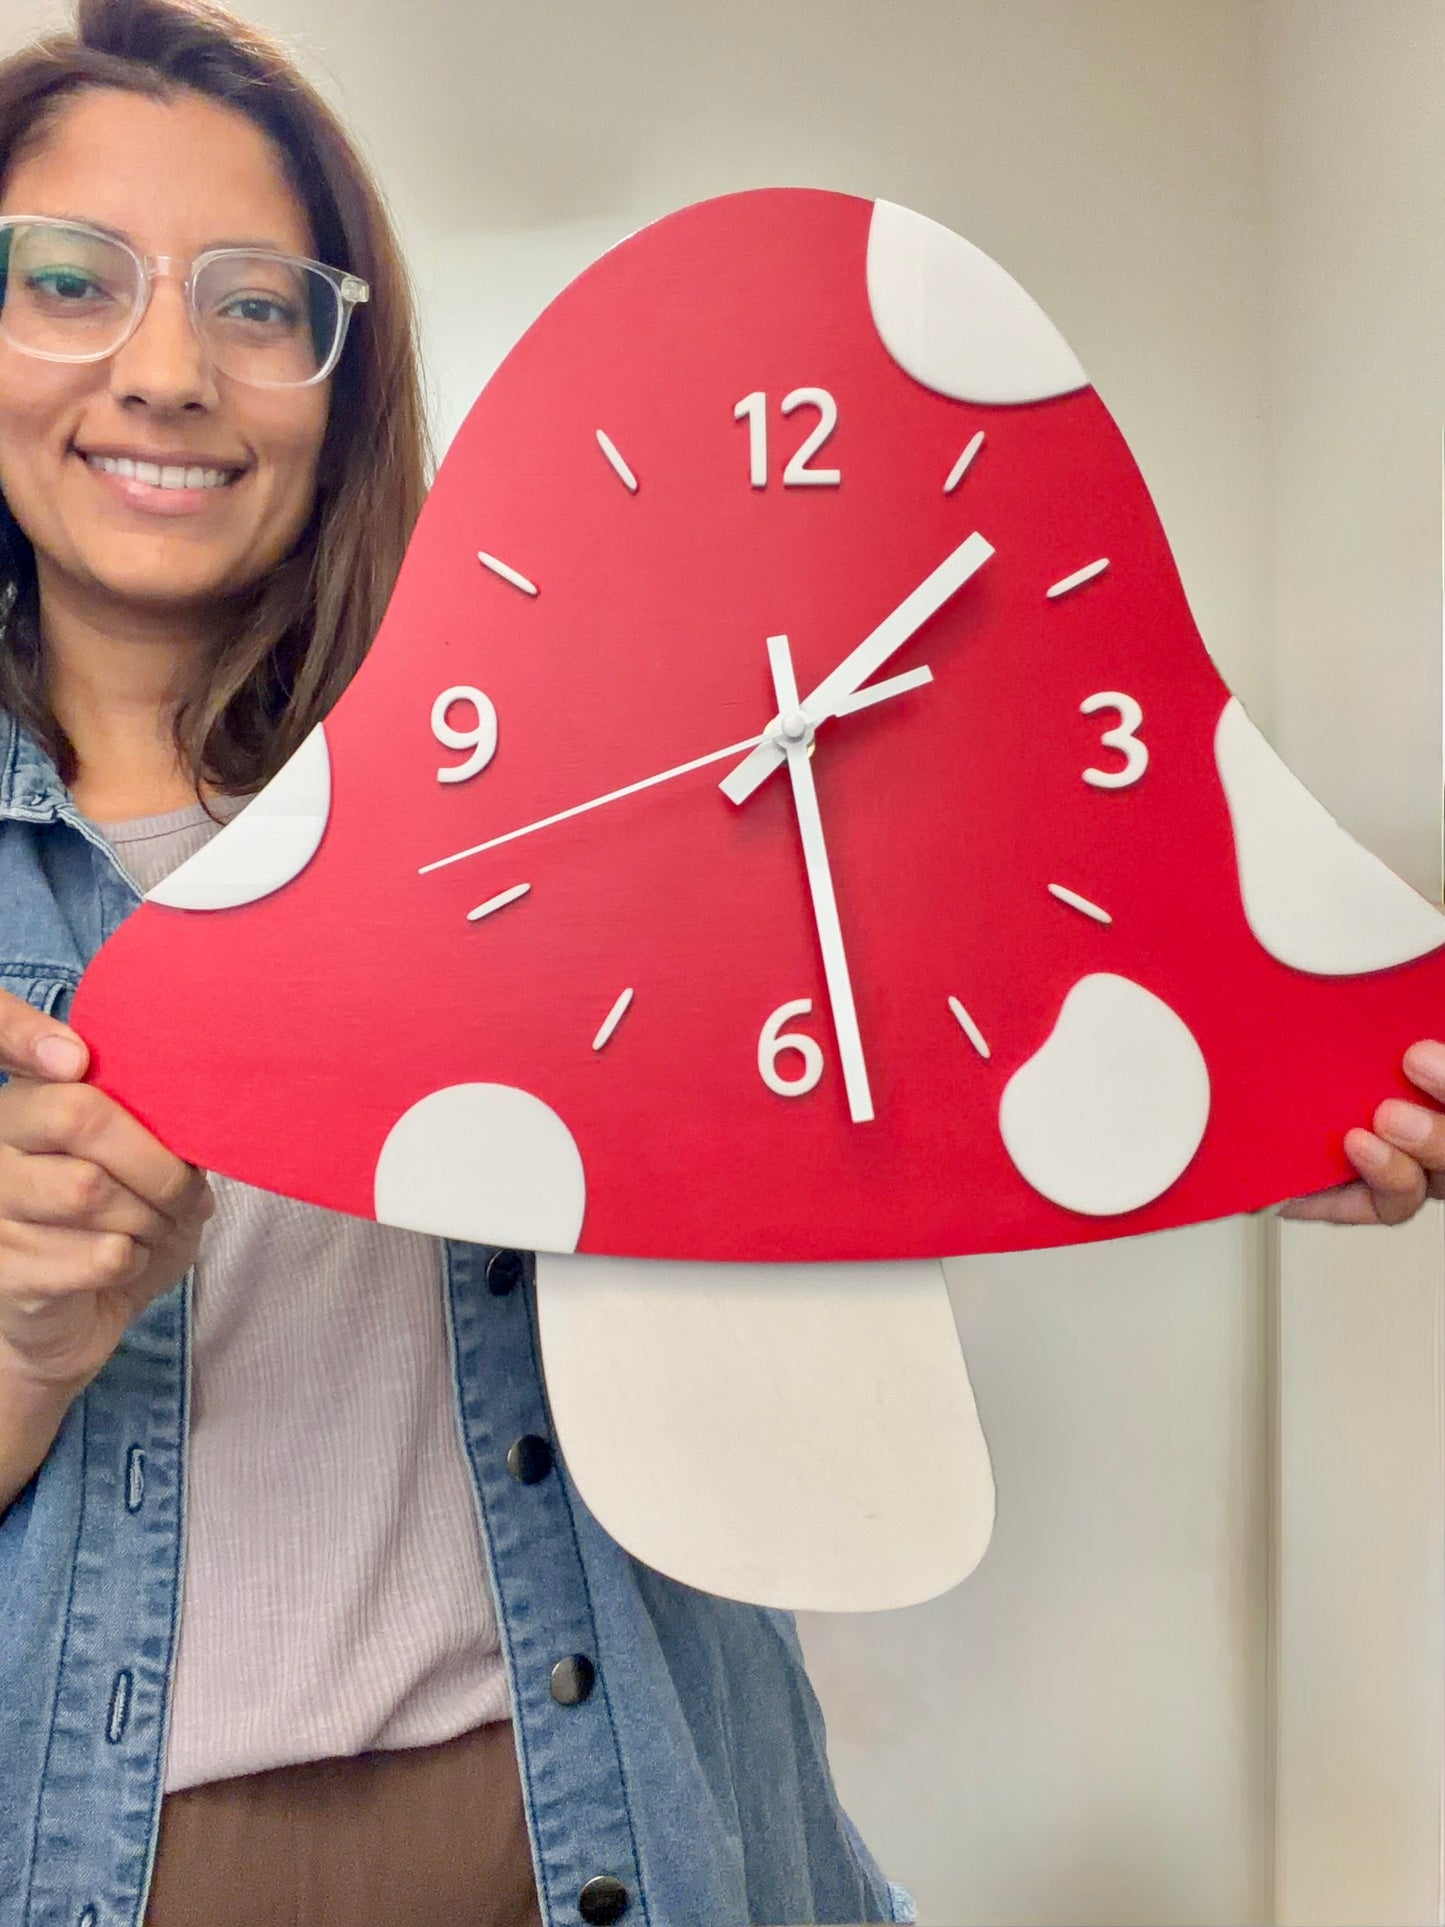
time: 1:28
